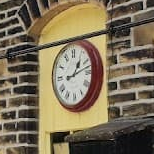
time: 1:12
